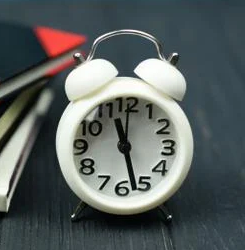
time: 11:27
